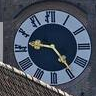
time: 9:23
